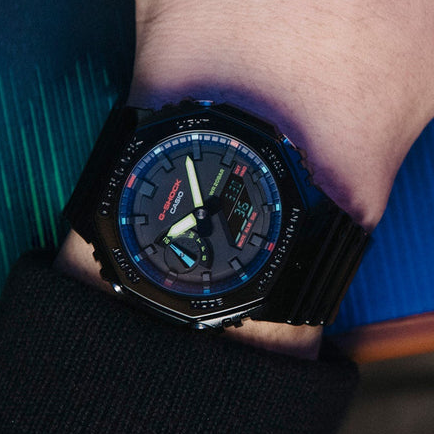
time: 7:58
